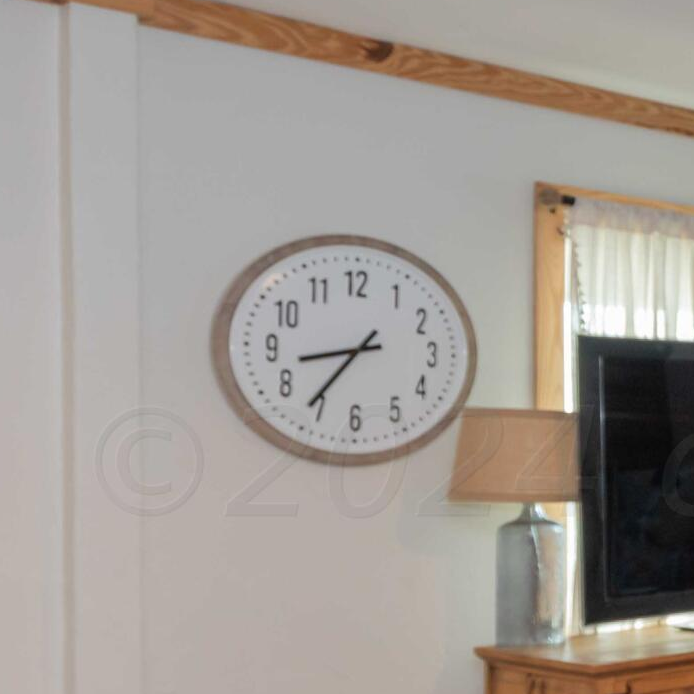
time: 8:36
